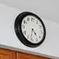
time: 4:31
